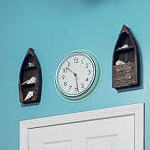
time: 10:28
